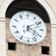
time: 4:09
